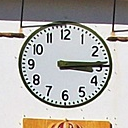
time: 3:14
